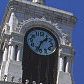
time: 1:33
